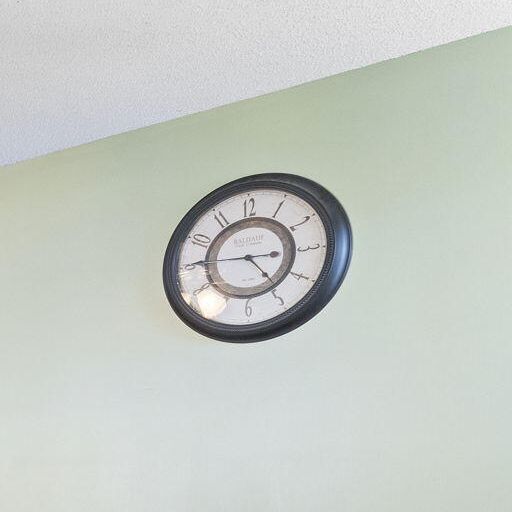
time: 4:45
